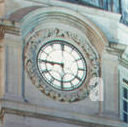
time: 8:45
